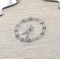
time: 7:32
